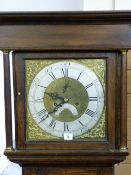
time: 9:38
